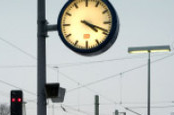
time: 4:18
